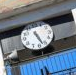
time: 5:27
